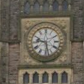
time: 9:28
